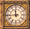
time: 11:44
